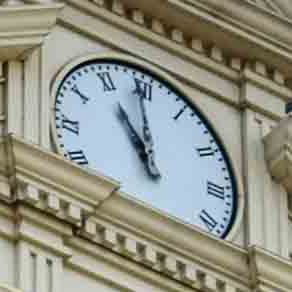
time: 10:59
